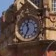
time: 11:34
